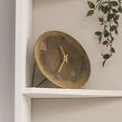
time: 11:35
